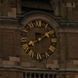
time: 8:09
